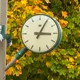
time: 3:04
